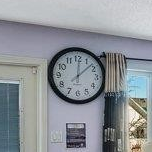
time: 12:07
